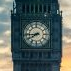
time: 7:44
